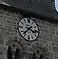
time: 3:37
